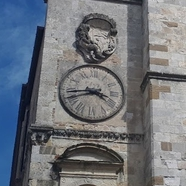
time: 3:43
